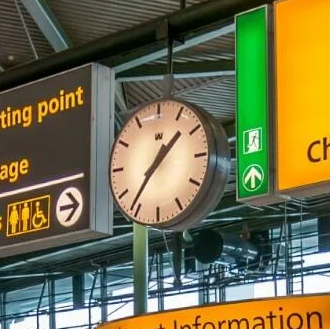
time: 1:36
